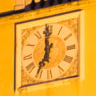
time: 6:59
